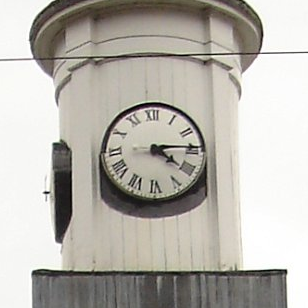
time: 4:14
